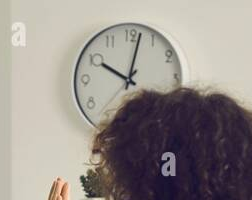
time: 10:02
